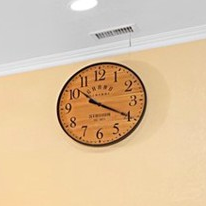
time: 10:19
